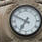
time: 6:49
